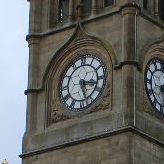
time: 3:27
